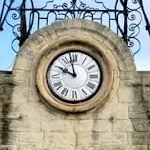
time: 9:57
